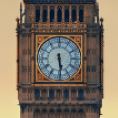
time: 5:29
